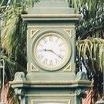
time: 9:20
